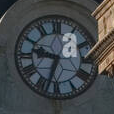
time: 9:33
